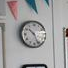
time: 10:26
